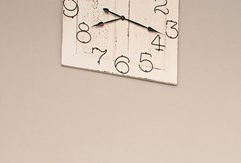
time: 8:17
